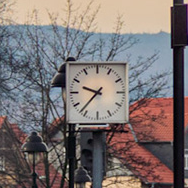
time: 9:36
